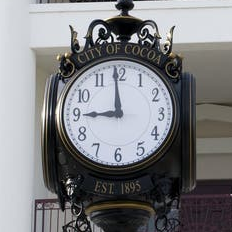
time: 8:59
